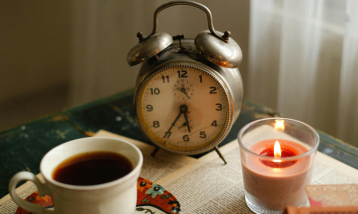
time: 5:35
